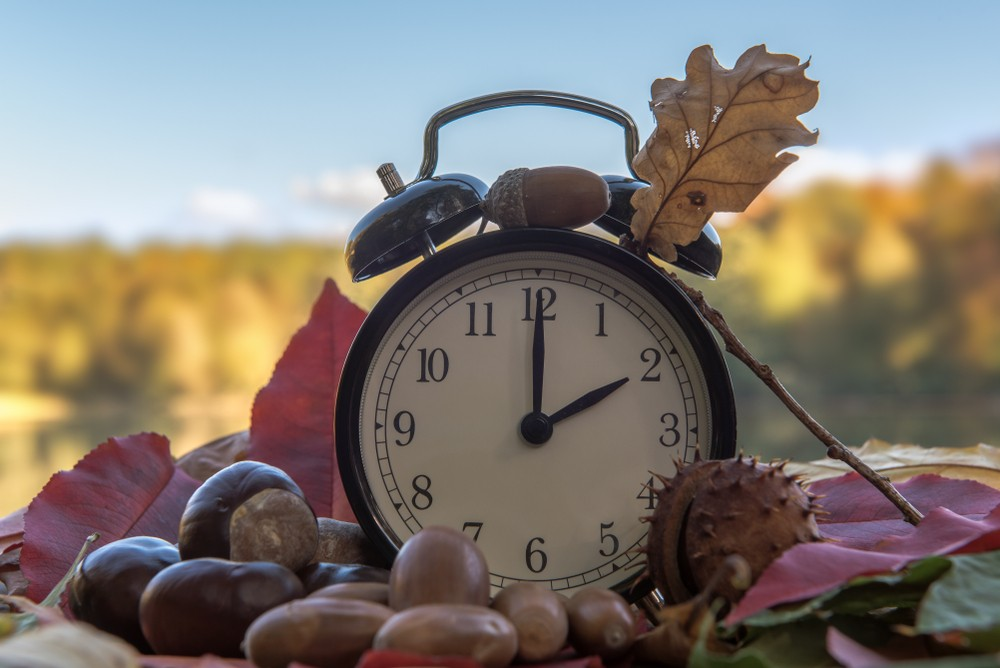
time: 2:00
